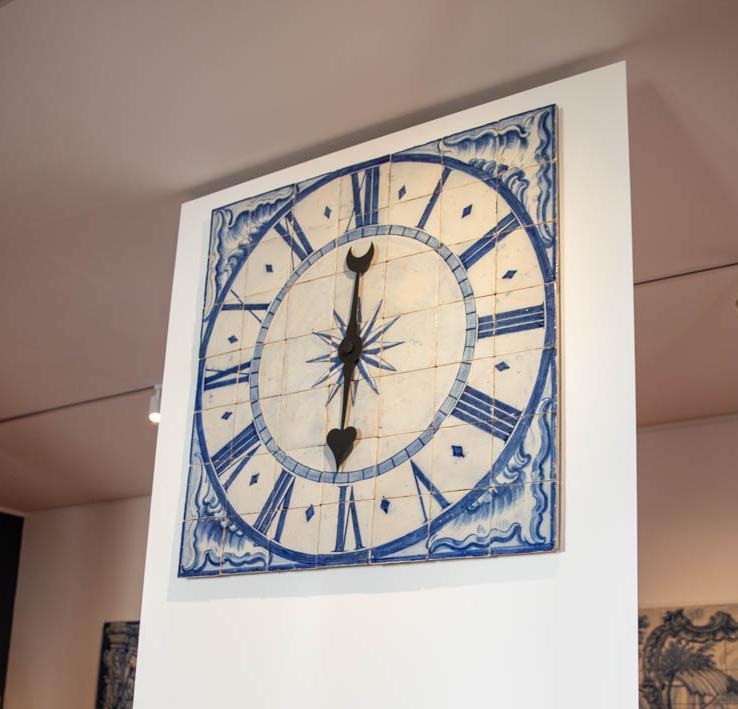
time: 6:00
